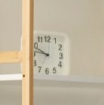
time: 9:45
